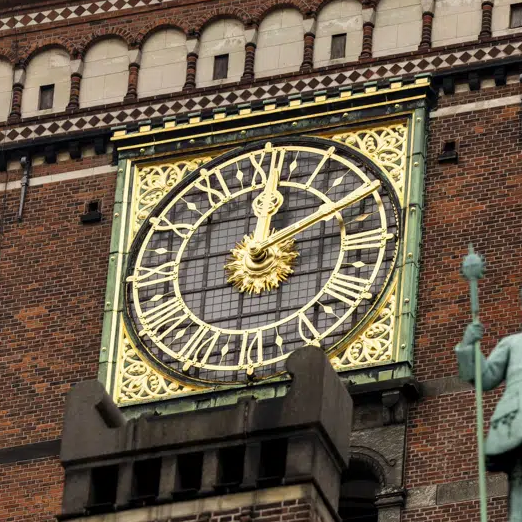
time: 12:09
